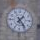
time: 1:23
